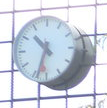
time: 10:33
